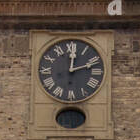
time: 12:11
